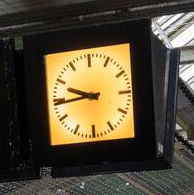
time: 9:44
